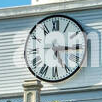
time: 5:15
